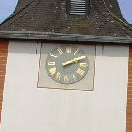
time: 2:09
